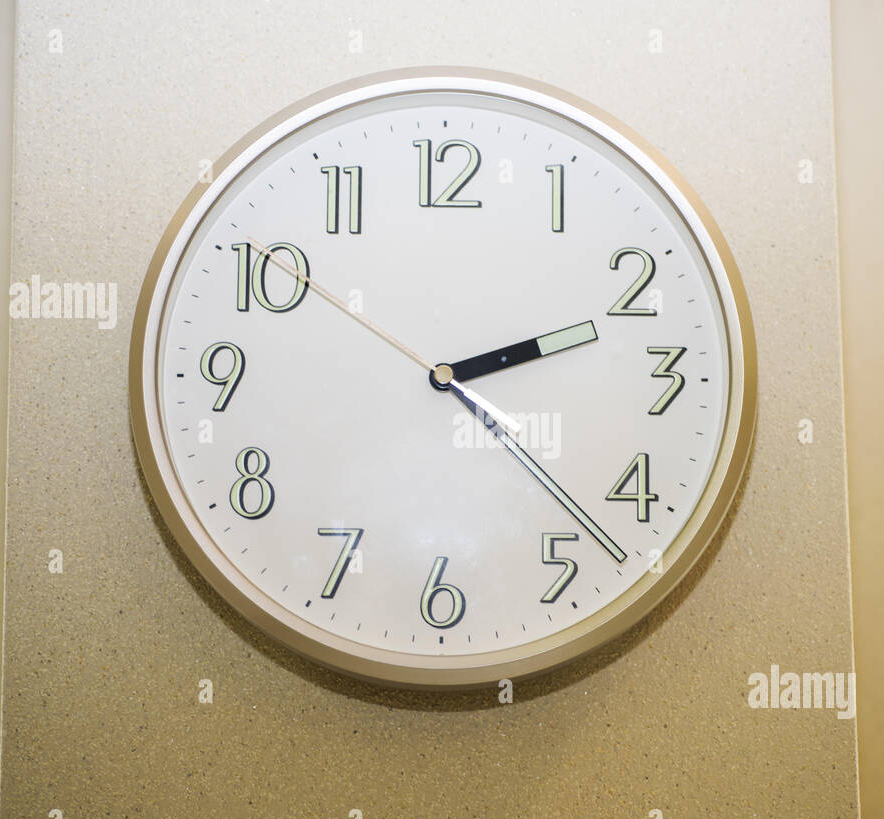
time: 2:22
